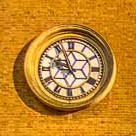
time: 9:56
